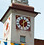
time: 6:00
